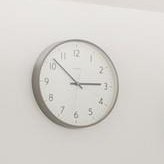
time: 2:52
